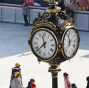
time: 11:37
